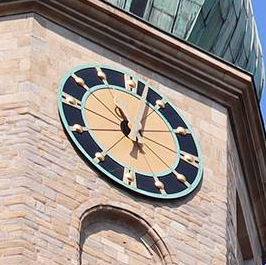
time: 11:02
